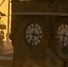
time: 3:32
